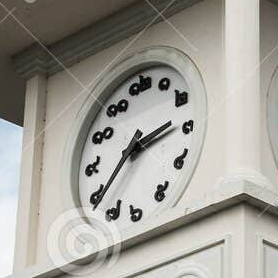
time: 2:38
